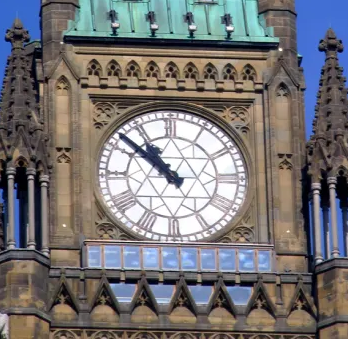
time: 10:51
